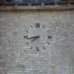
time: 7:43
